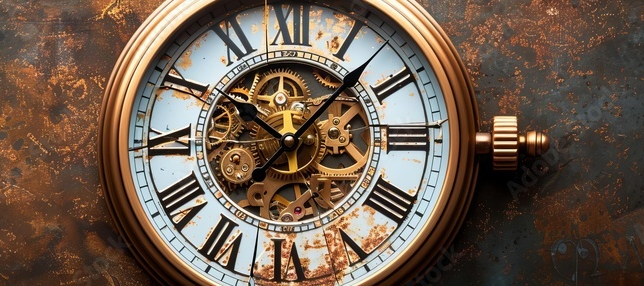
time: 10:07
